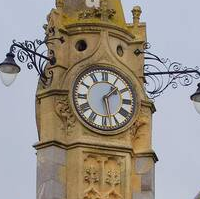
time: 1:28
